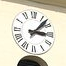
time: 3:07
